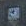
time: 9:01
